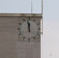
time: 11:57
